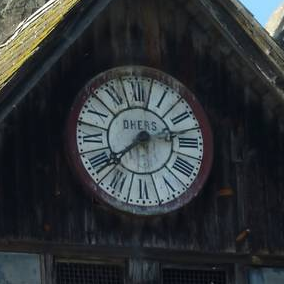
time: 2:38
